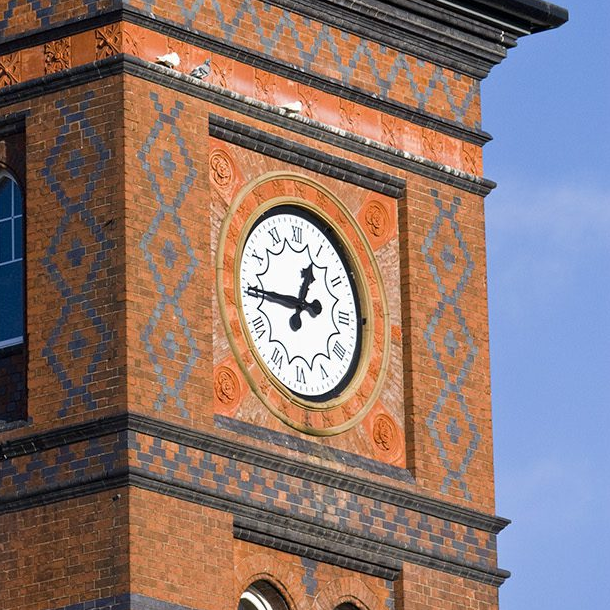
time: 12:45
